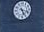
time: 5:18
